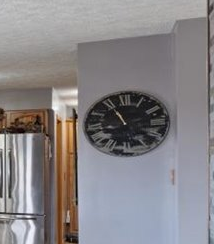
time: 10:55
